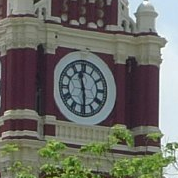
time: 11:29
